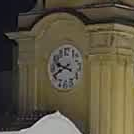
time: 9:40
